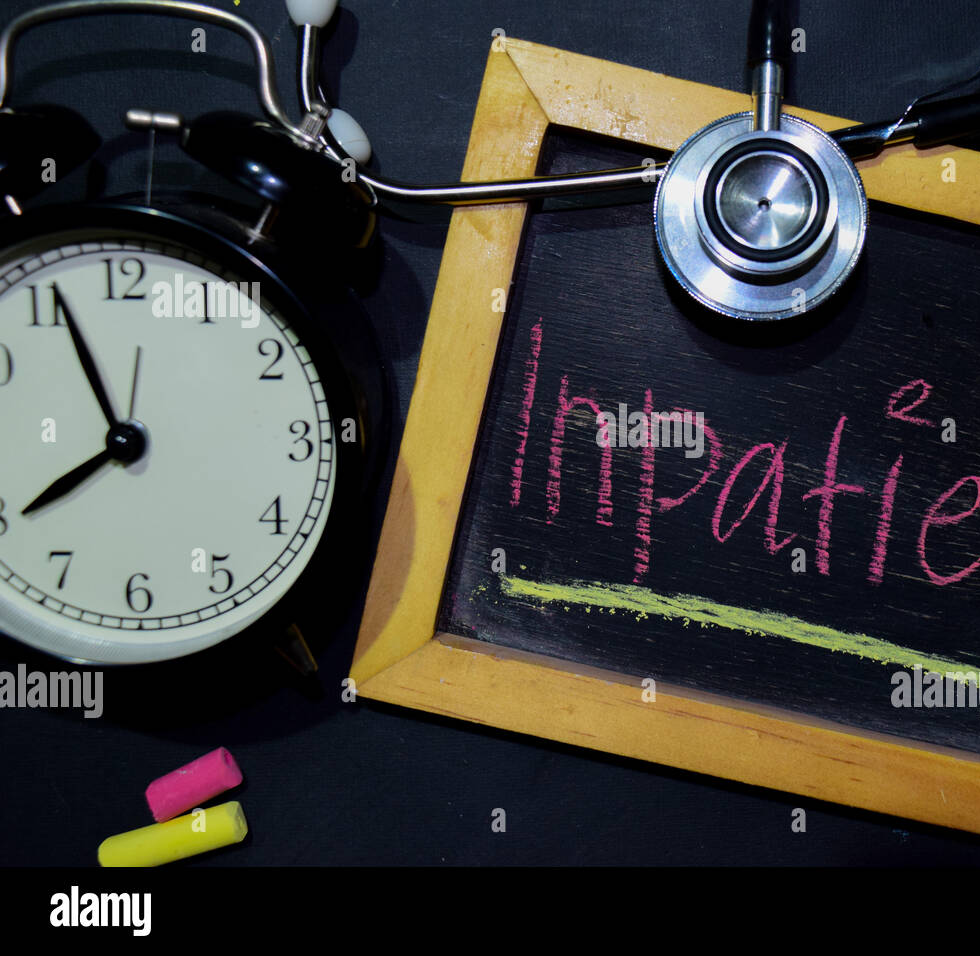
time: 7:56
